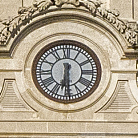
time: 6:29
